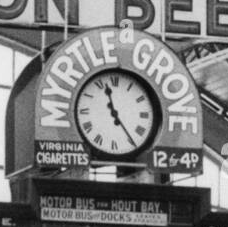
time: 11:24
